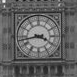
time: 3:43
